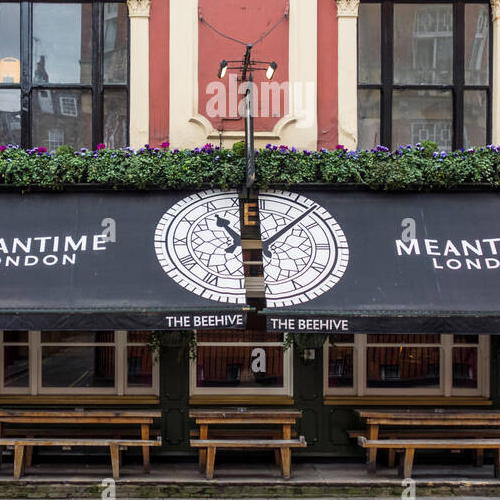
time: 11:07
